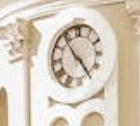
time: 4:54
